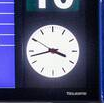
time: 3:42
